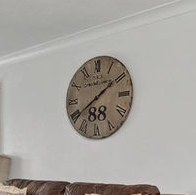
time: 1:39
